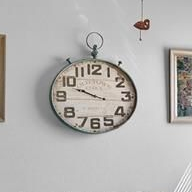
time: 9:48
